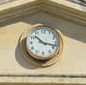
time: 10:17
